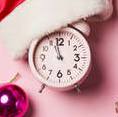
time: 10:57
